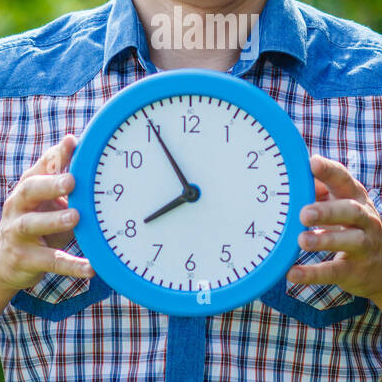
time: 7:54
